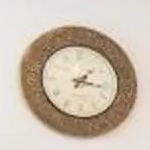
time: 1:16
